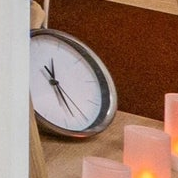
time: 12:27
